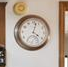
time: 4:02
